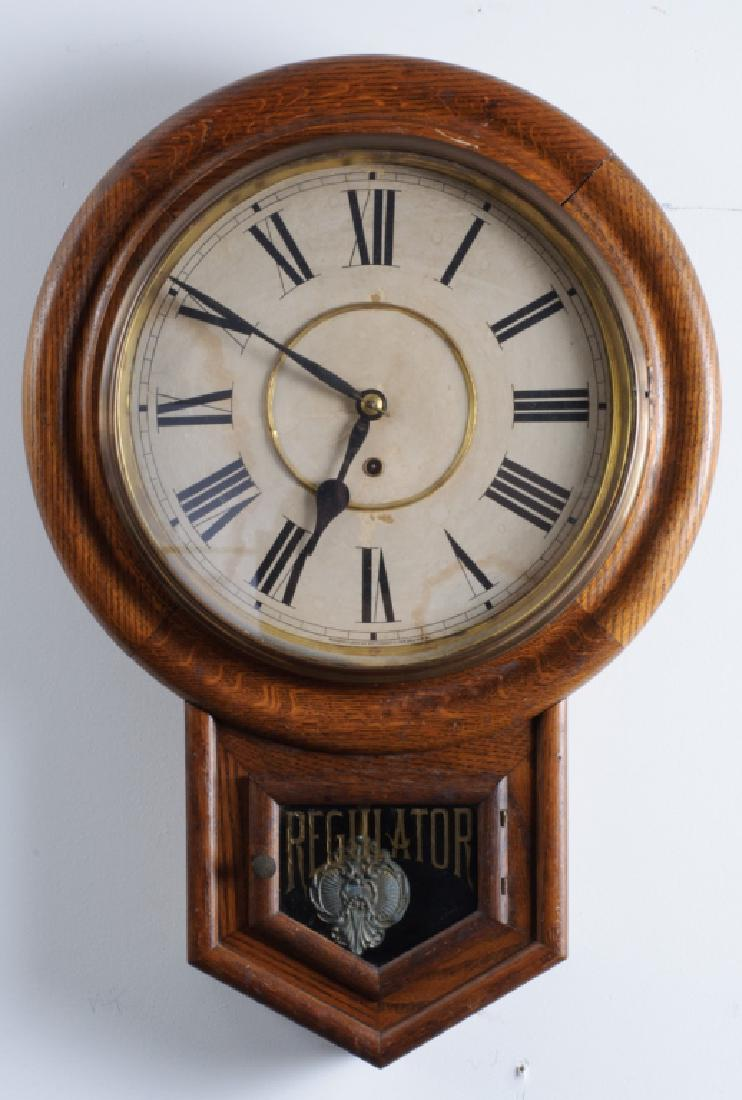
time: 6:50
